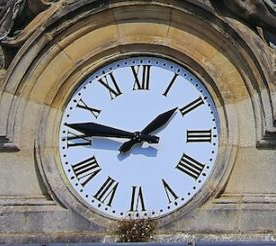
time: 1:46
